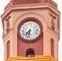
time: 7:32
